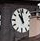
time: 10:58
